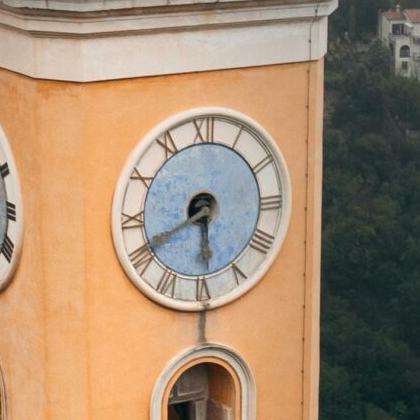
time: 5:40
